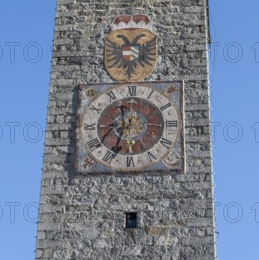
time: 11:33
